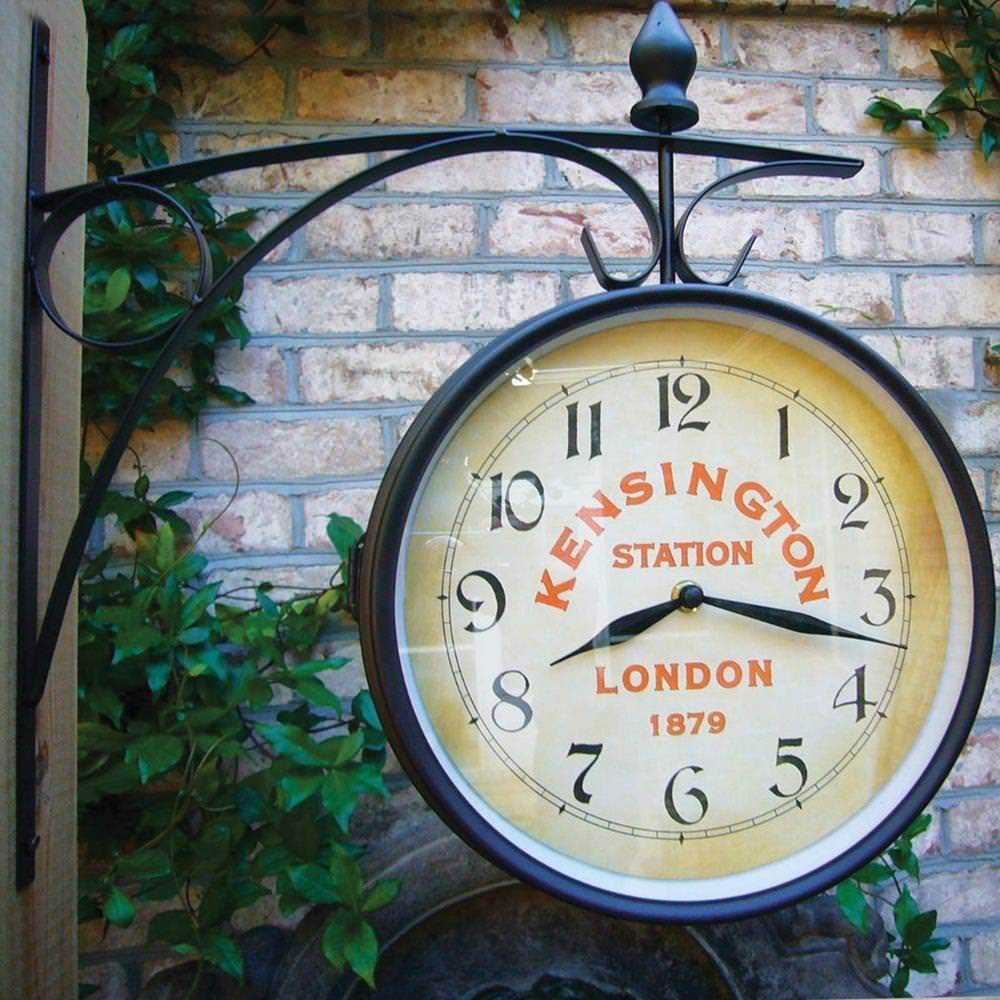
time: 8:17
